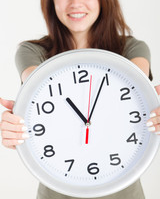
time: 11:04
